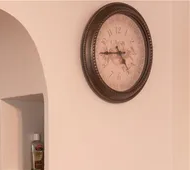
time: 4:44
